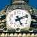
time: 5:11
